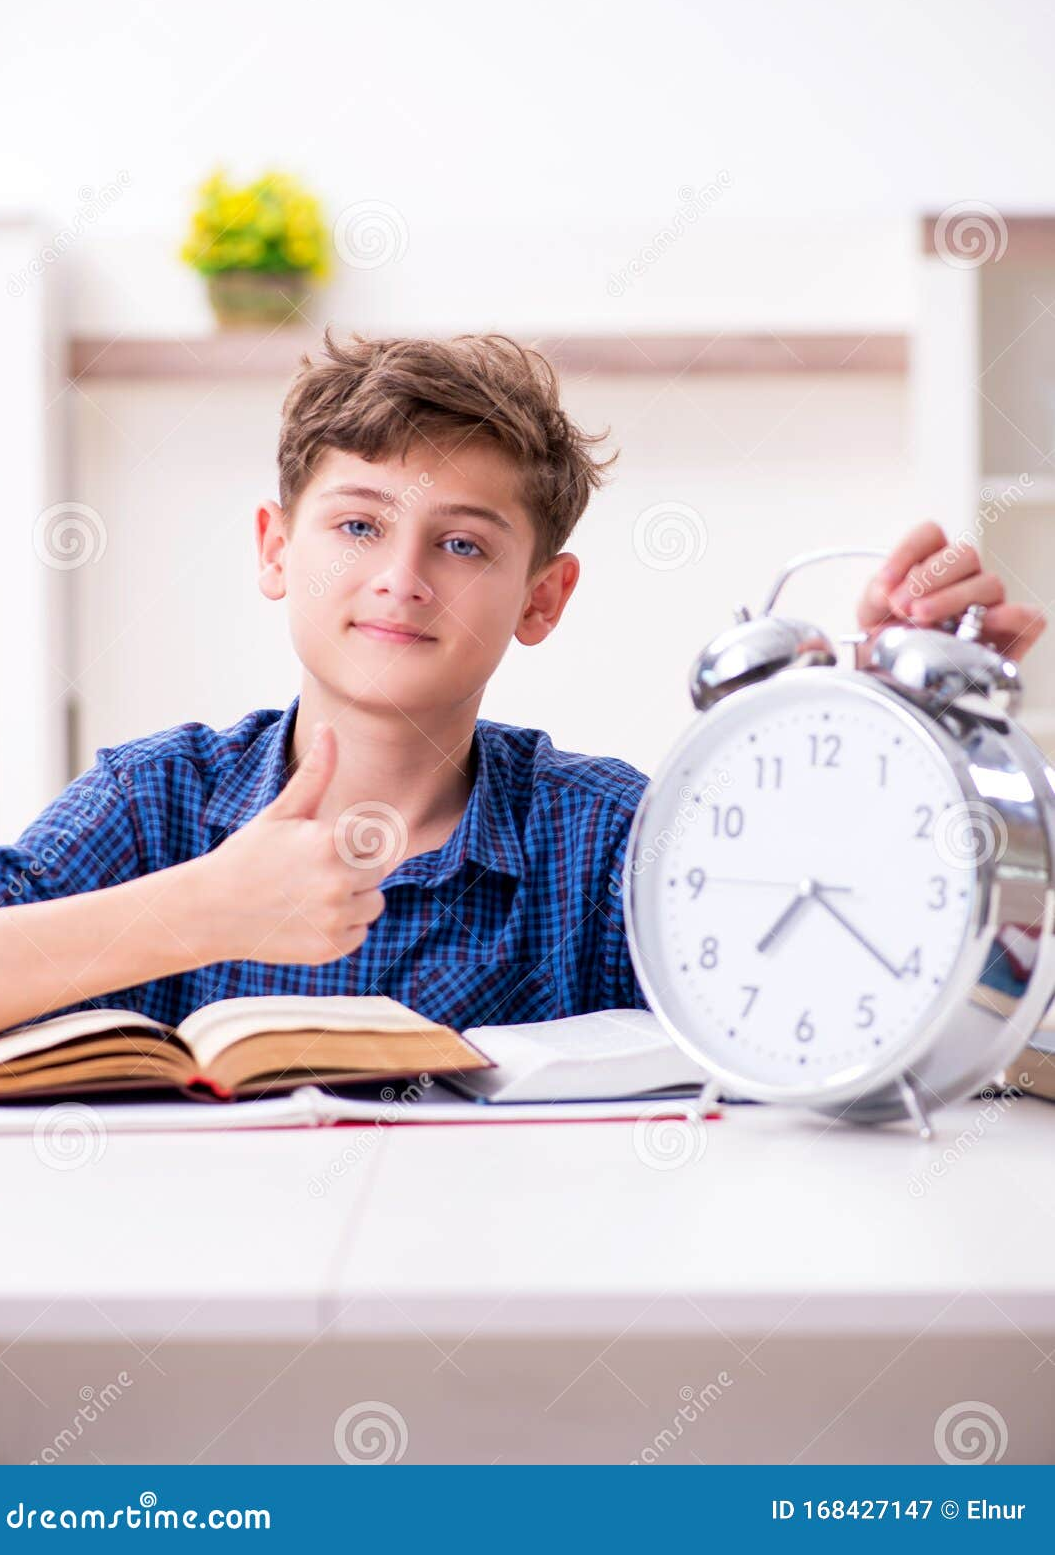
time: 7:21
